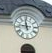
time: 11:46
